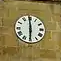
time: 5:59
